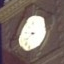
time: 8:38
